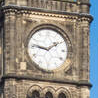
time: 1:46
